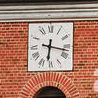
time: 6:17
